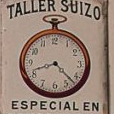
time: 8:22
